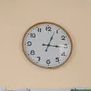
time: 3:03
